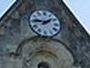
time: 1:46
